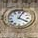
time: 4:04
